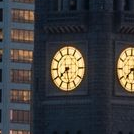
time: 7:28
